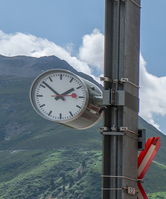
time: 1:51
